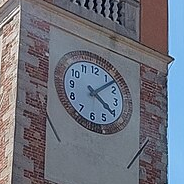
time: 4:07
